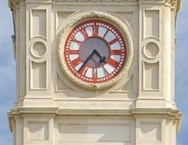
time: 4:36
